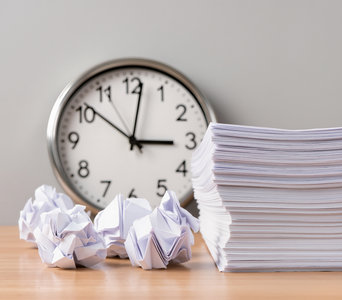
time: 3:01
